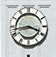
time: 3:43
